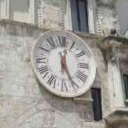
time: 12:26
